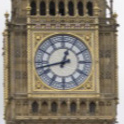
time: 12:42
